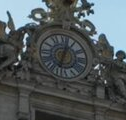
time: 12:32
